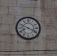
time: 3:48
